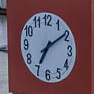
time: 7:09
